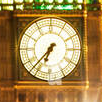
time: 6:37
